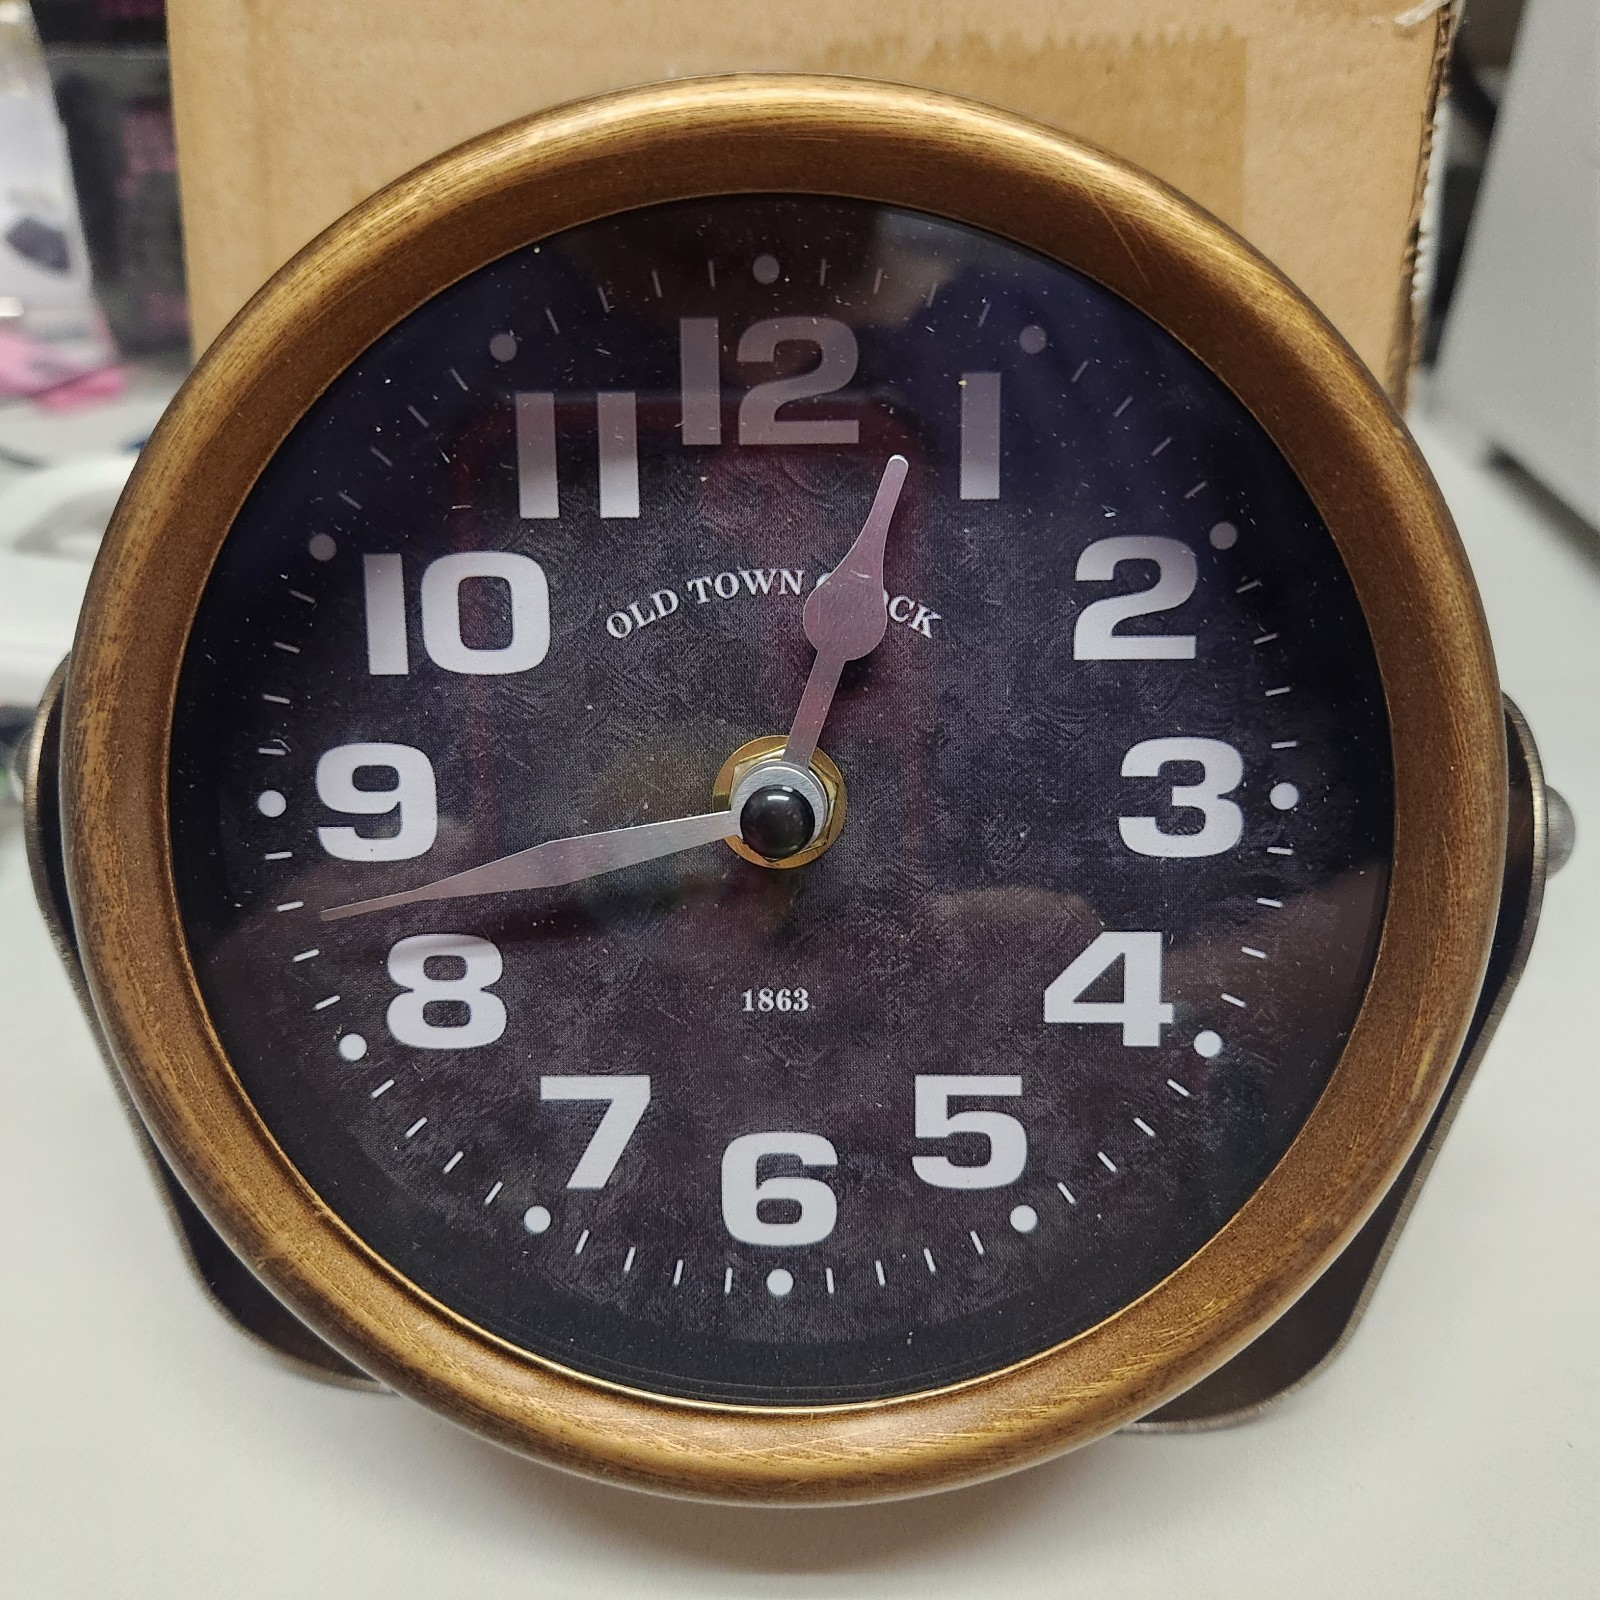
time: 12:42
